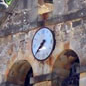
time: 7:37
